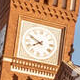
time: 7:49
